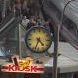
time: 4:33
